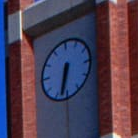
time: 6:32
